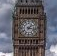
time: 1:16
